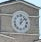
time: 12:07
